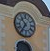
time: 10:36
